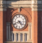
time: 4:41
